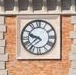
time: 9:38
